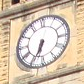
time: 6:34
